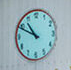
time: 10:49
